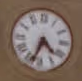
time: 4:33
